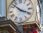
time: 3:52
